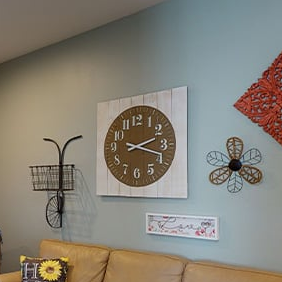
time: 2:18
